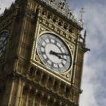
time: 3:11
